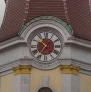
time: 10:35
